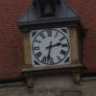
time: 2:32
